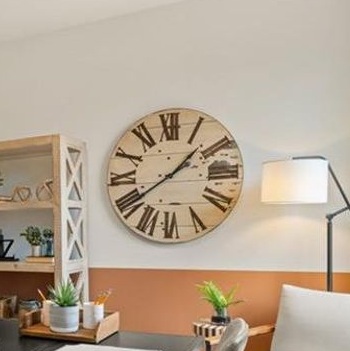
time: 1:39
